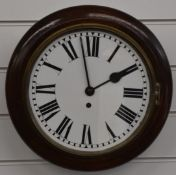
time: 1:57
